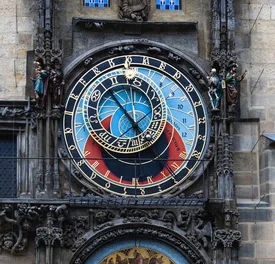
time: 4:52
